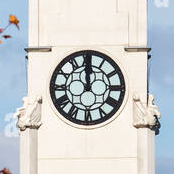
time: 11:59
